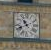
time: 10:41
